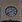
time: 8:09
